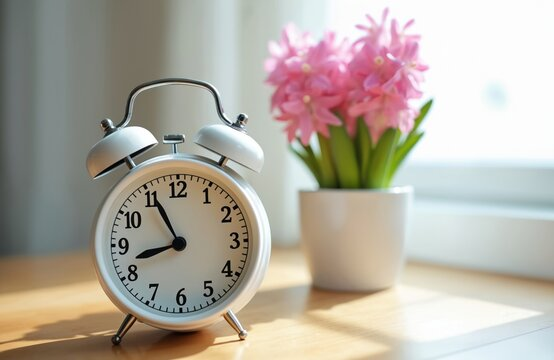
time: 8:55
